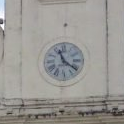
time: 11:21
